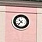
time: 10:37
